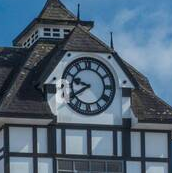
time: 9:39
